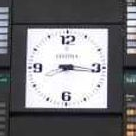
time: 8:16
